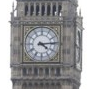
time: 4:14
